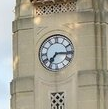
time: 7:15
